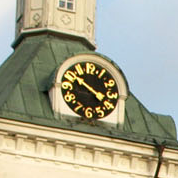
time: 3:50
